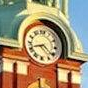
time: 8:21
